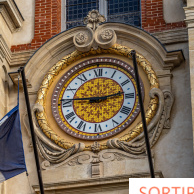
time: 9:13
